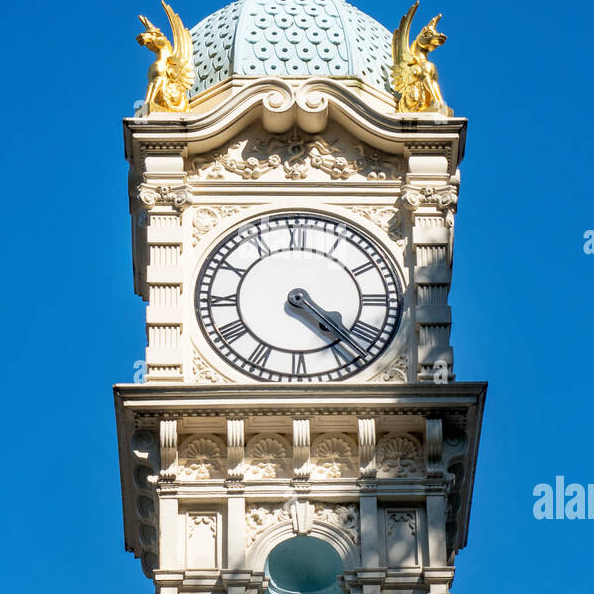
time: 4:23
